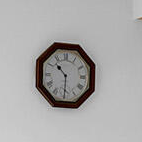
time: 10:30
